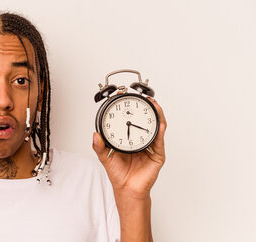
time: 6:19
